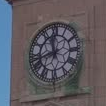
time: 11:42
